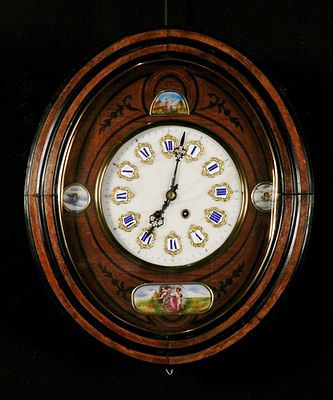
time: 7:02
